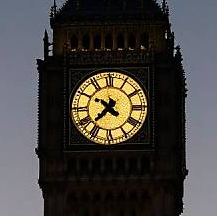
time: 7:37
